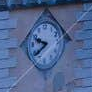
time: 9:39
